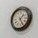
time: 1:24
